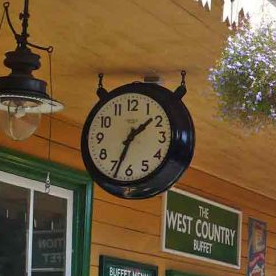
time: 1:33
